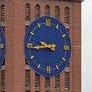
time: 9:44
